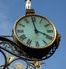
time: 3:58
